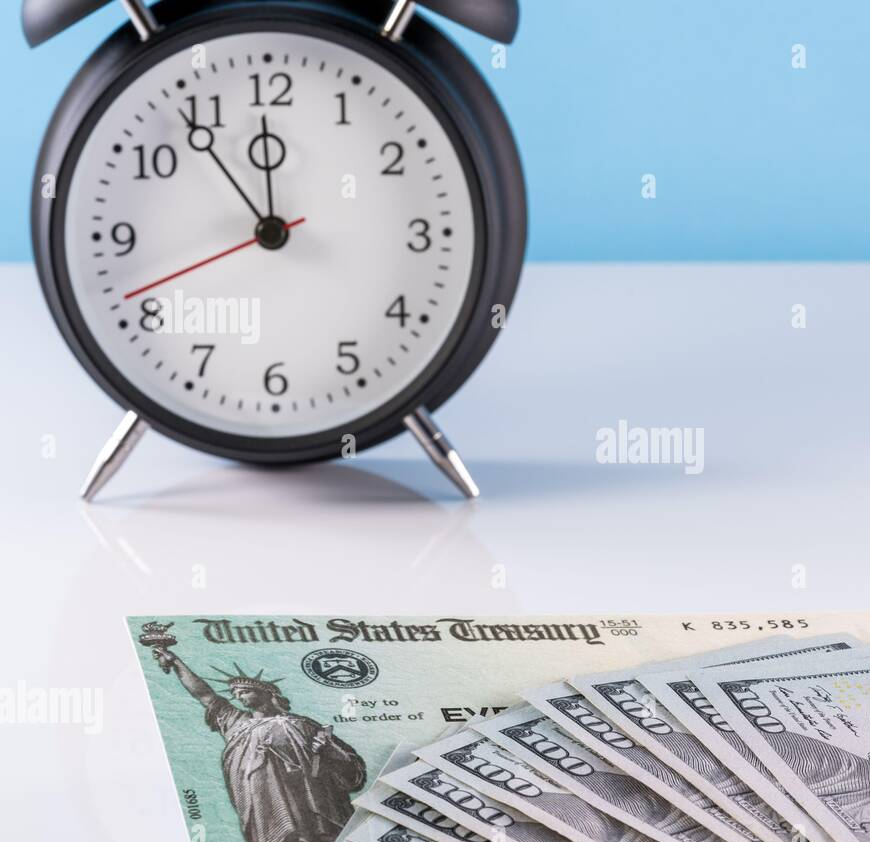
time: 11:53
